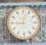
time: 9:01
